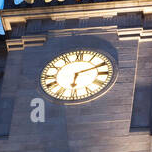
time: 6:10
